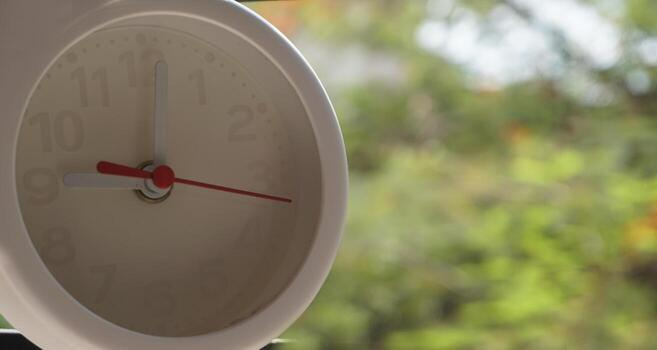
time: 9:01
